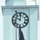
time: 10:00
